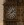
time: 1:39
